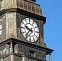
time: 9:36
